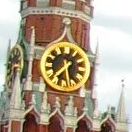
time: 7:28
